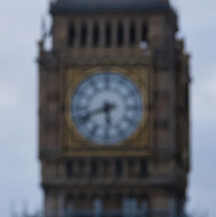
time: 5:41
